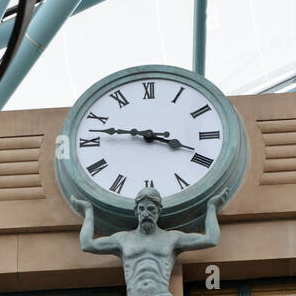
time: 3:46
